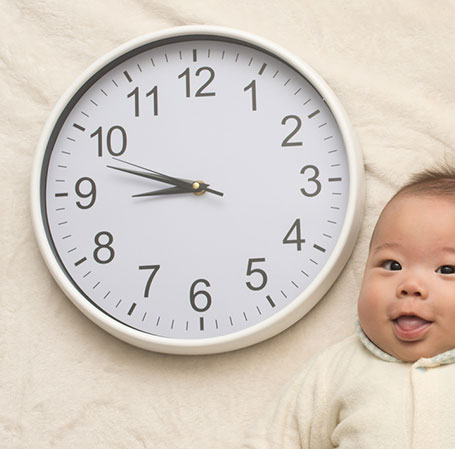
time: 8:47
